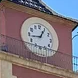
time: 12:43
